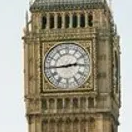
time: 2:44
